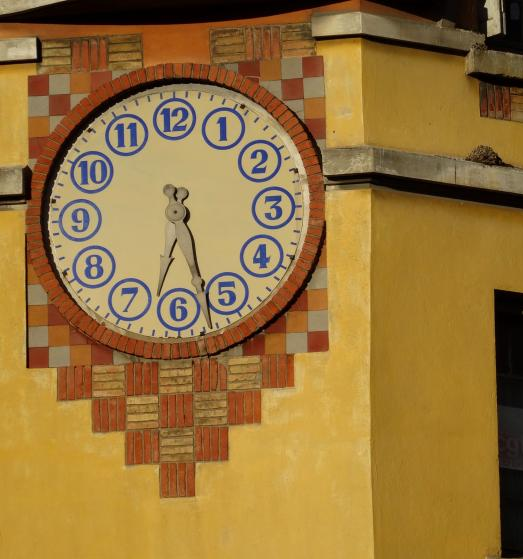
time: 6:27
